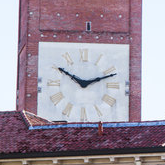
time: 10:11
